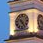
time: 10:24
